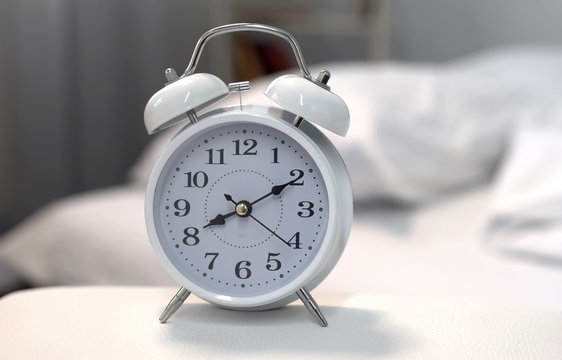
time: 8:10
